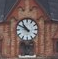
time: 10:50
